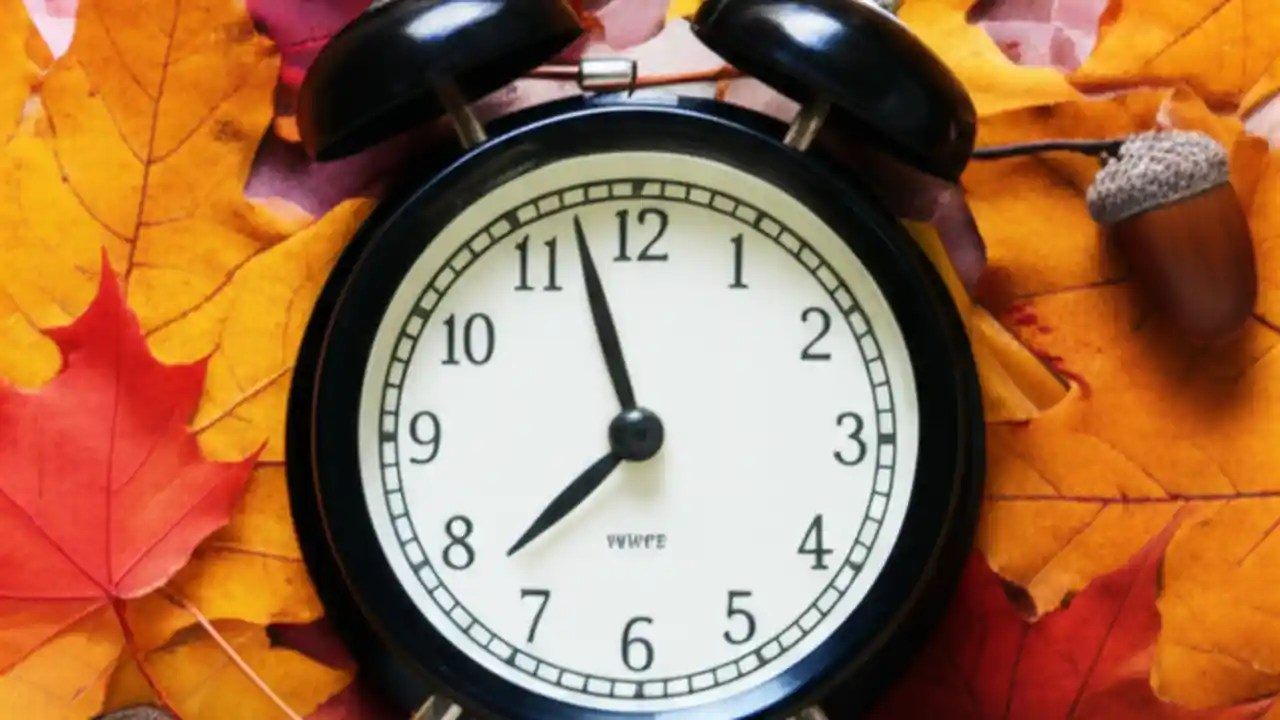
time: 7:57
